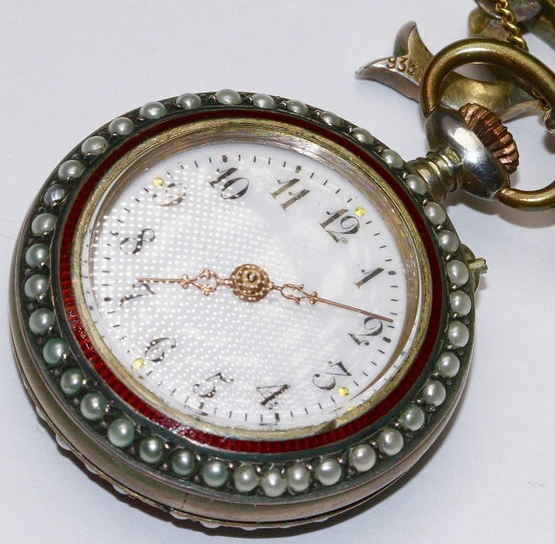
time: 3:45
